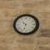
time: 10:33
